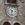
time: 10:32
